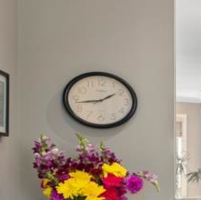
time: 1:43
